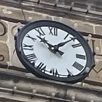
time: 10:07
